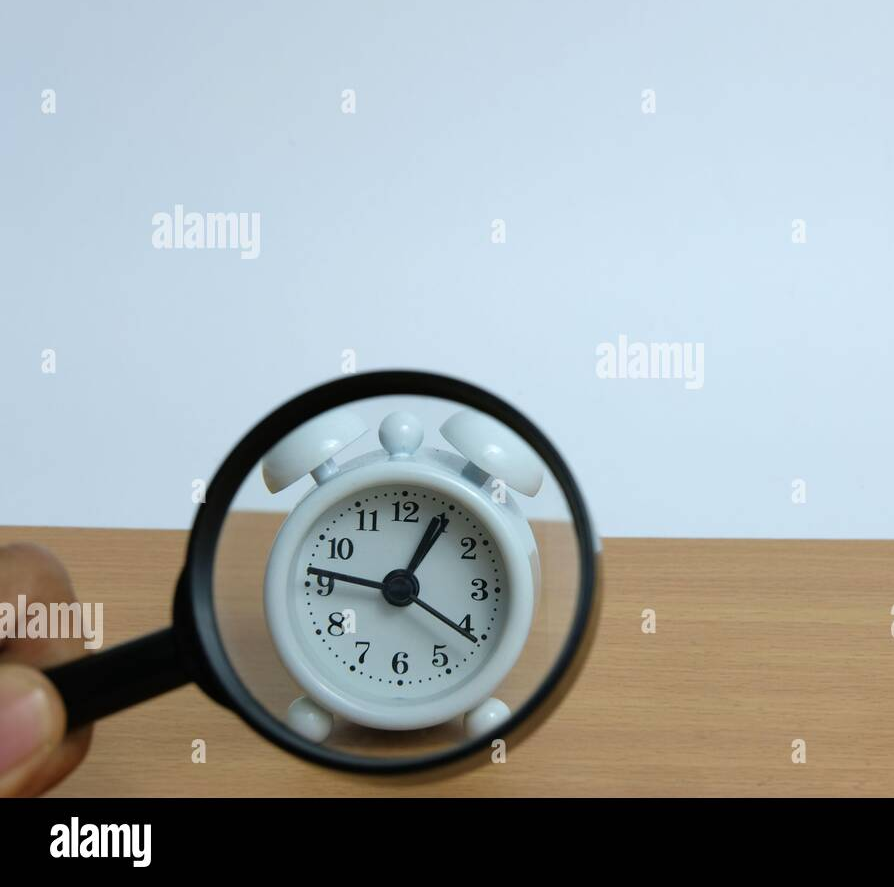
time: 12:46
